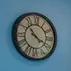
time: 3:52
